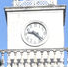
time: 9:22
